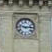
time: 2:47
